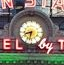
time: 8:32
